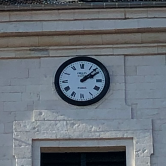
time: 2:07
